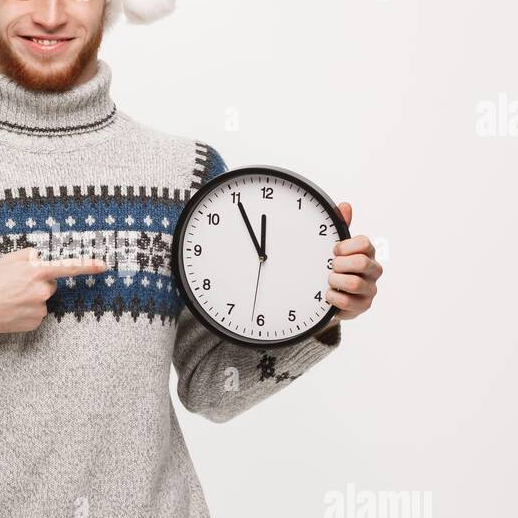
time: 11:55
